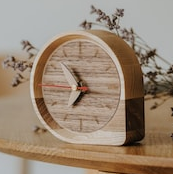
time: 6:54
